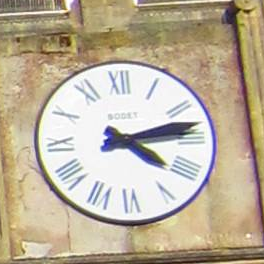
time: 4:13
